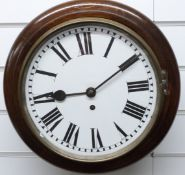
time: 9:09
